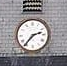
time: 2:36
